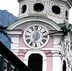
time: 7:00
